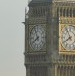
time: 7:55
